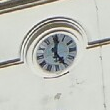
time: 5:01
